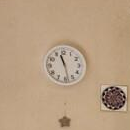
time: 11:28
